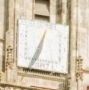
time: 6:34
